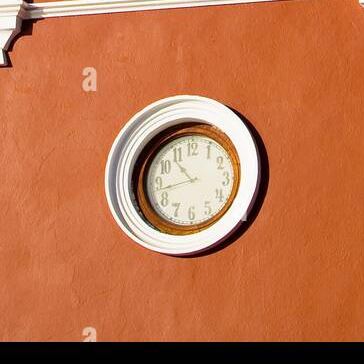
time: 10:42
